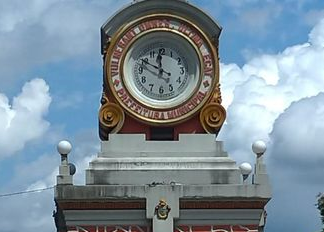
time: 11:49
